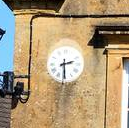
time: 2:29
